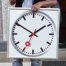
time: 1:50
